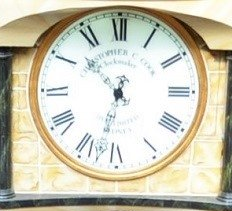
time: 10:32
